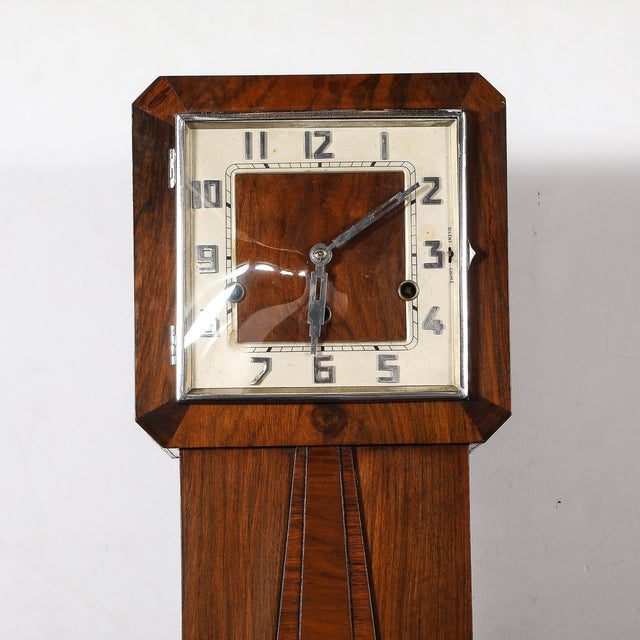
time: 6:09
